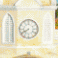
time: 7:40
